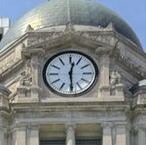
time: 12:29
